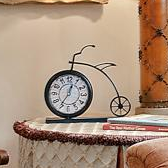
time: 12:34
